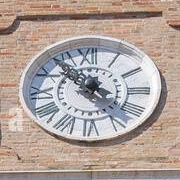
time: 3:53
